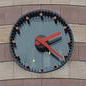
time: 2:22
